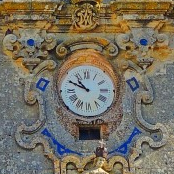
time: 10:49
